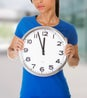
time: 11:56
